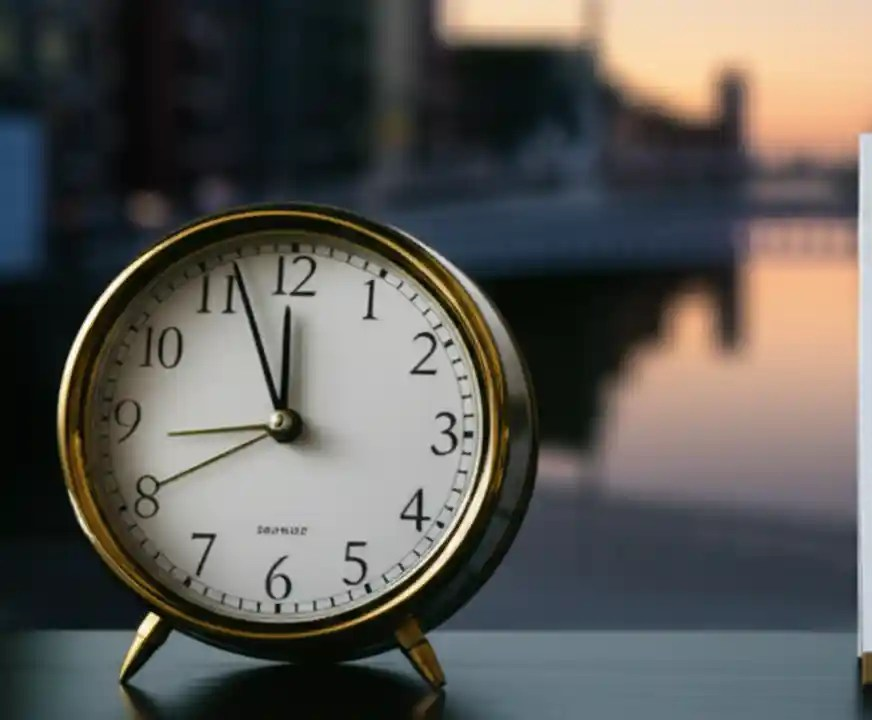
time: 11:56
